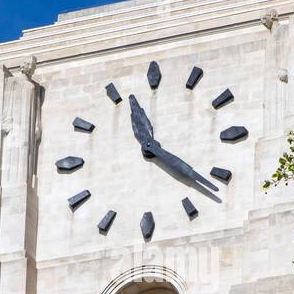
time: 11:21
